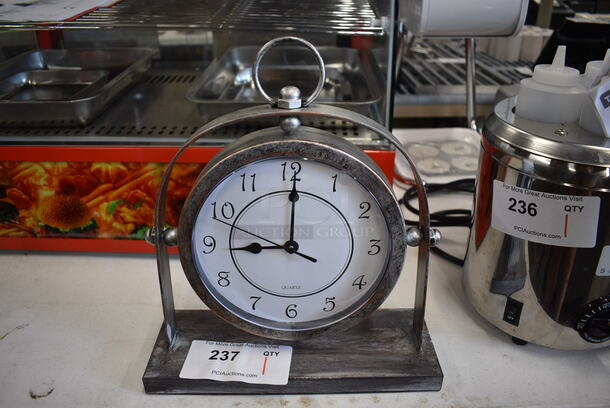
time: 9:00
